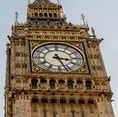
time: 3:26
